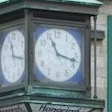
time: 11:17
